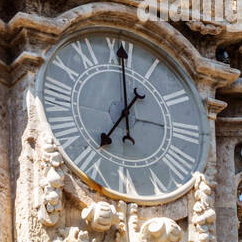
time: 7:00
